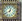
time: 12:40
